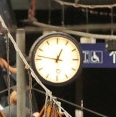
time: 12:46
